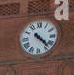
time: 4:22
